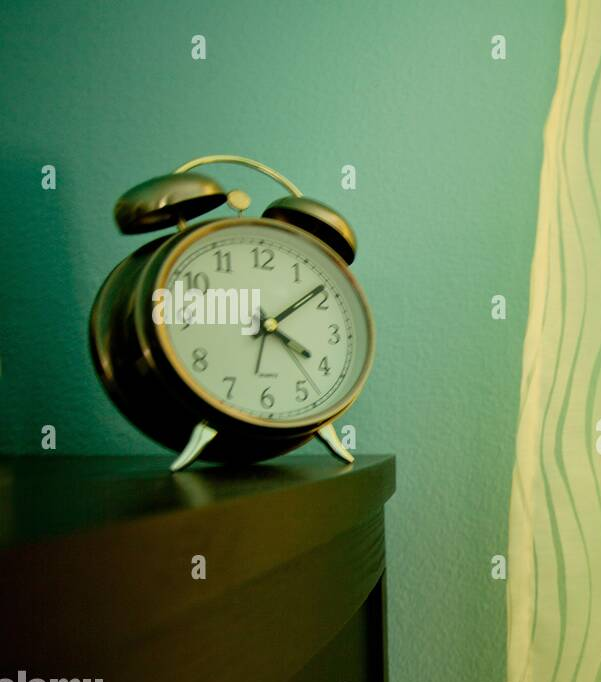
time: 4:08
